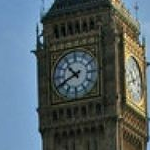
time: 10:41
